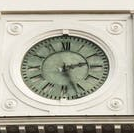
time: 2:26
